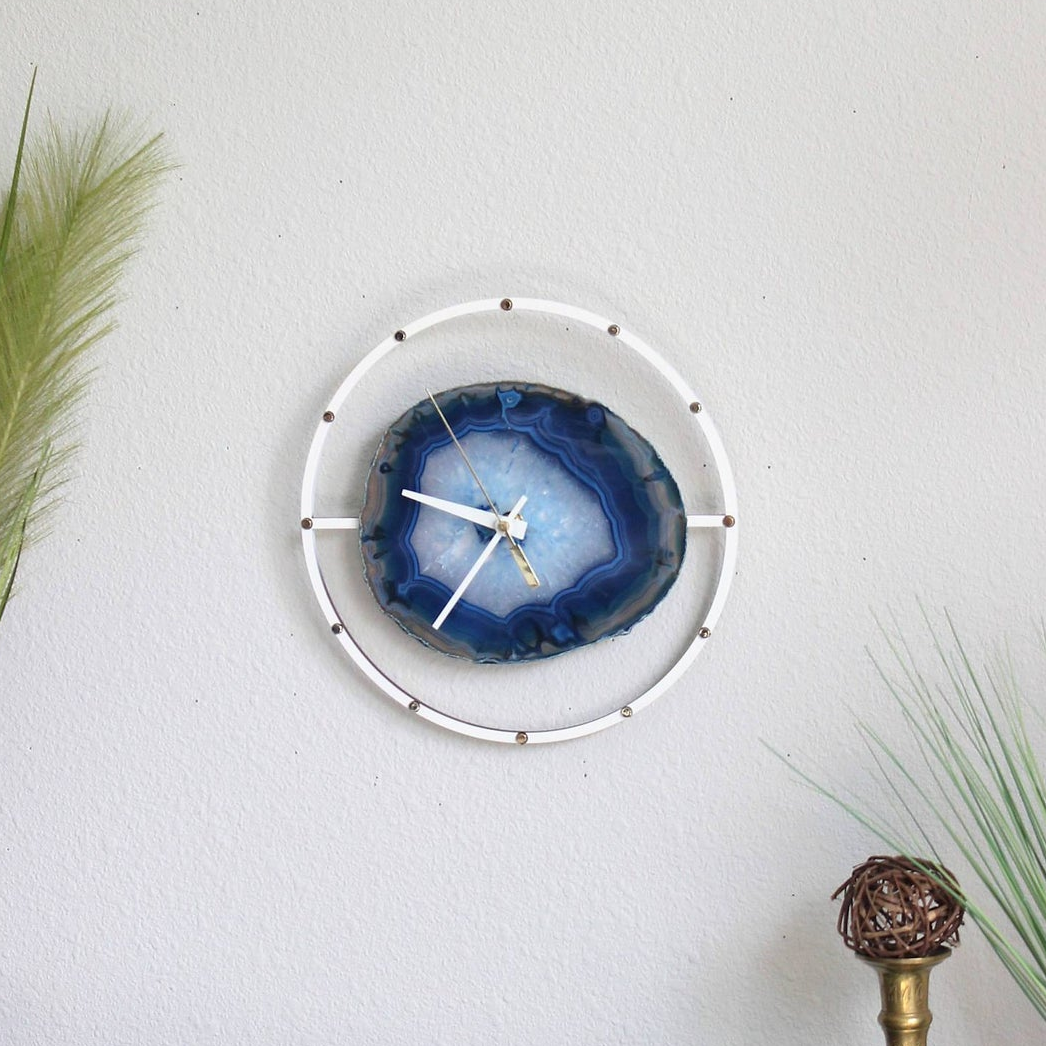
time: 9:36
